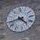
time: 4:42
